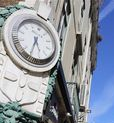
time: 5:34
